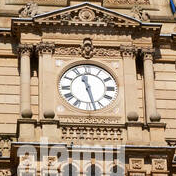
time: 11:27
